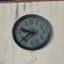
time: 9:38
